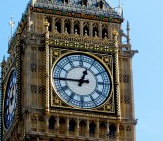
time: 12:45
